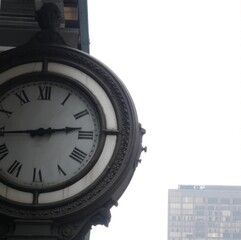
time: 2:44
